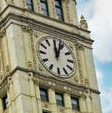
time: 12:03
